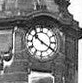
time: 10:20
